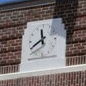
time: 11:40
